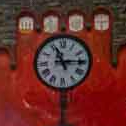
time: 11:14
